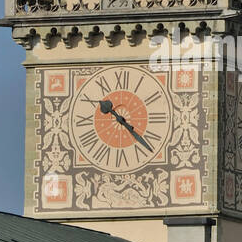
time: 10:22
